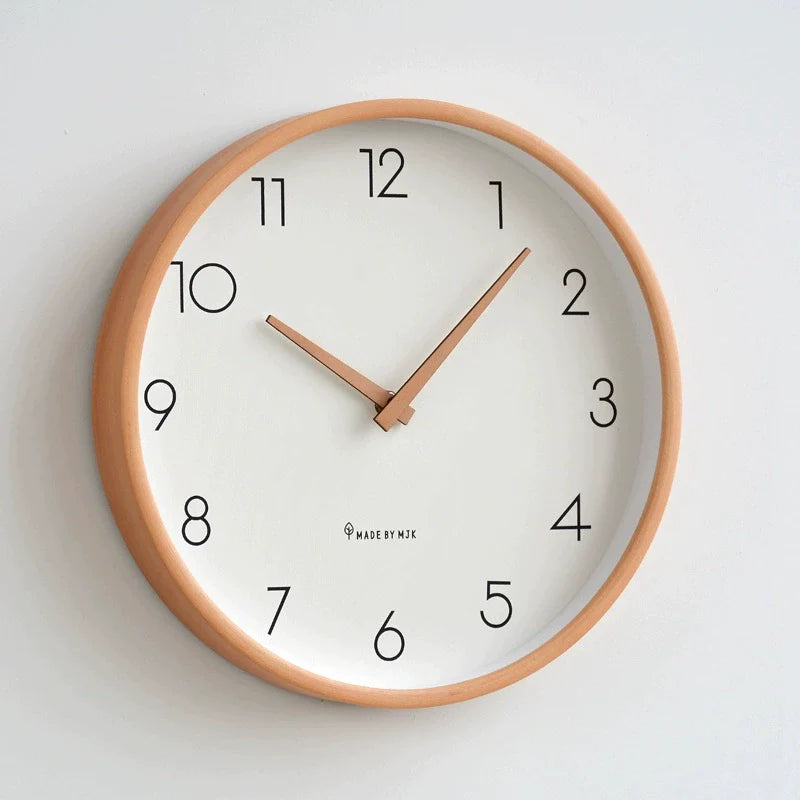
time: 10:07
